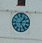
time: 1:24
